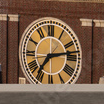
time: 7:13
